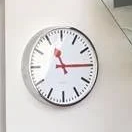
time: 11:14
